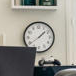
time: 1:39
